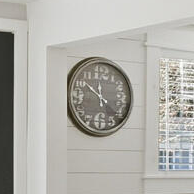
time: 11:51
